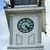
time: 4:23
